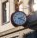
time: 2:18
